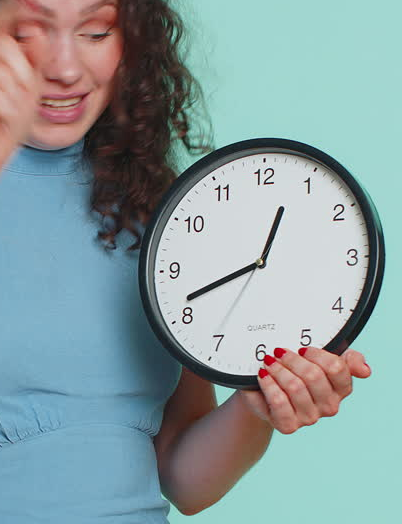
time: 12:41
